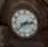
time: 2:38
